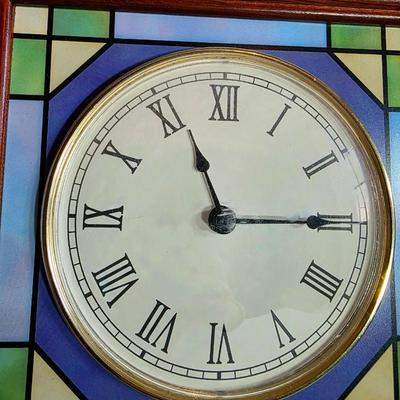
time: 11:14
